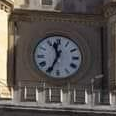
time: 11:34
